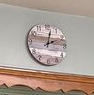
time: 2:02
